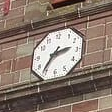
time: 2:36
